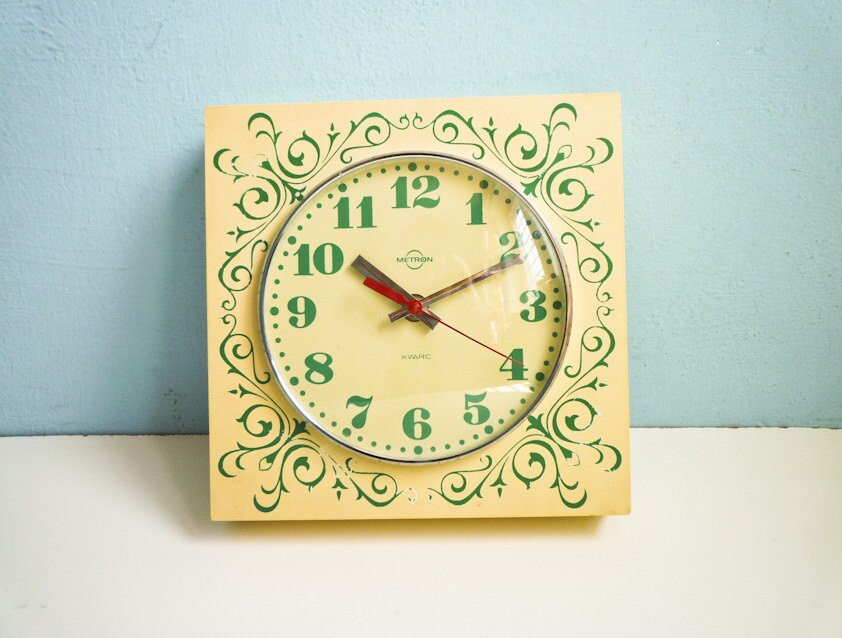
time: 10:11
